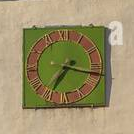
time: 7:17
